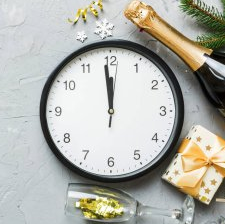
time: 11:58
